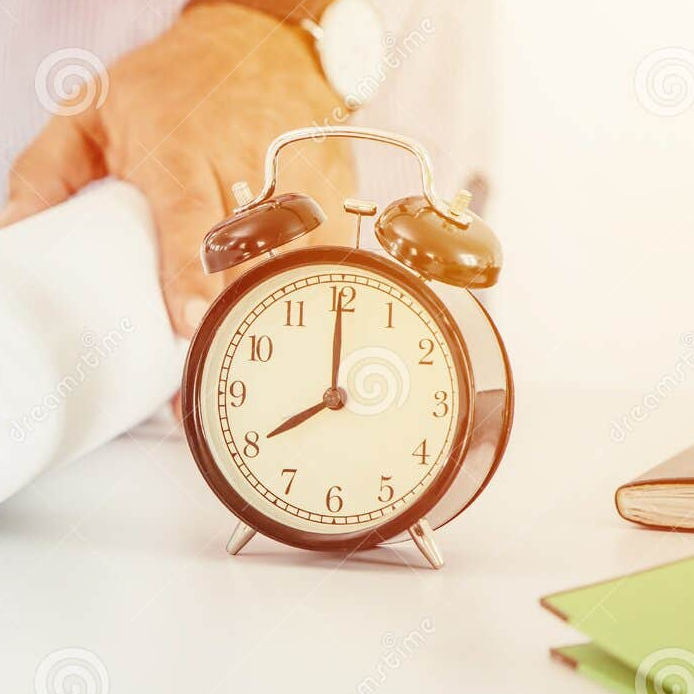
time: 8:00
